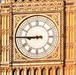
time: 8:45
